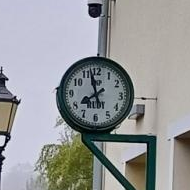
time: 7:57
